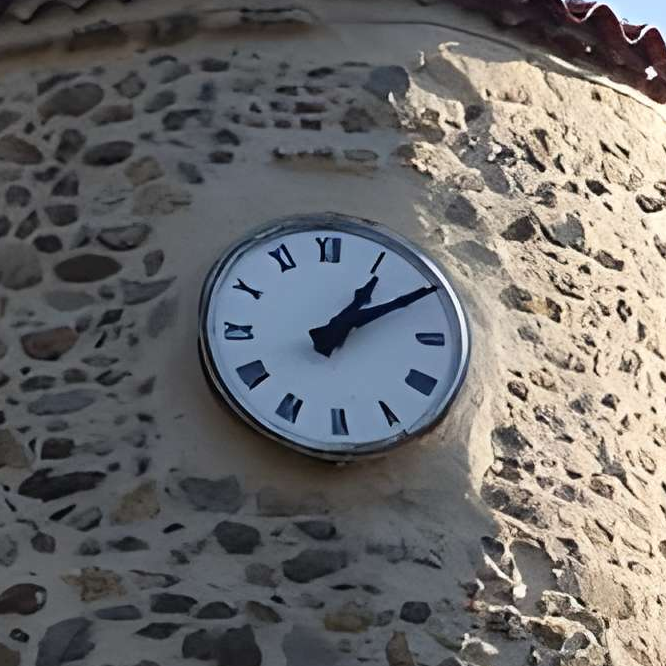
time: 1:10
